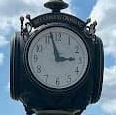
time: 2:57
